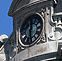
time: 12:28
